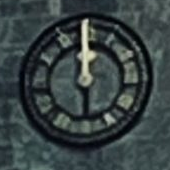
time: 11:59
